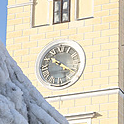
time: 10:20
